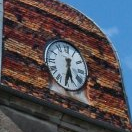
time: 5:31
